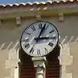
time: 3:02
